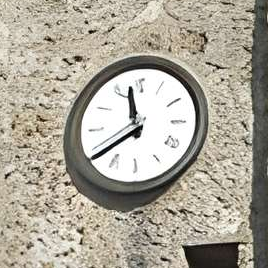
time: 11:39
